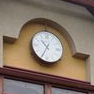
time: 10:34
